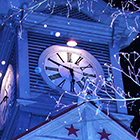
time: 5:49
